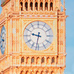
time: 9:31
